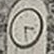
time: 3:28
